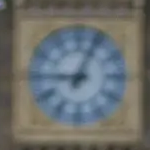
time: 9:03
